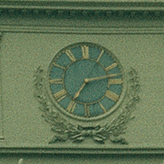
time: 7:12
